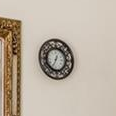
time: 12:34
